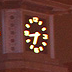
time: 6:43
